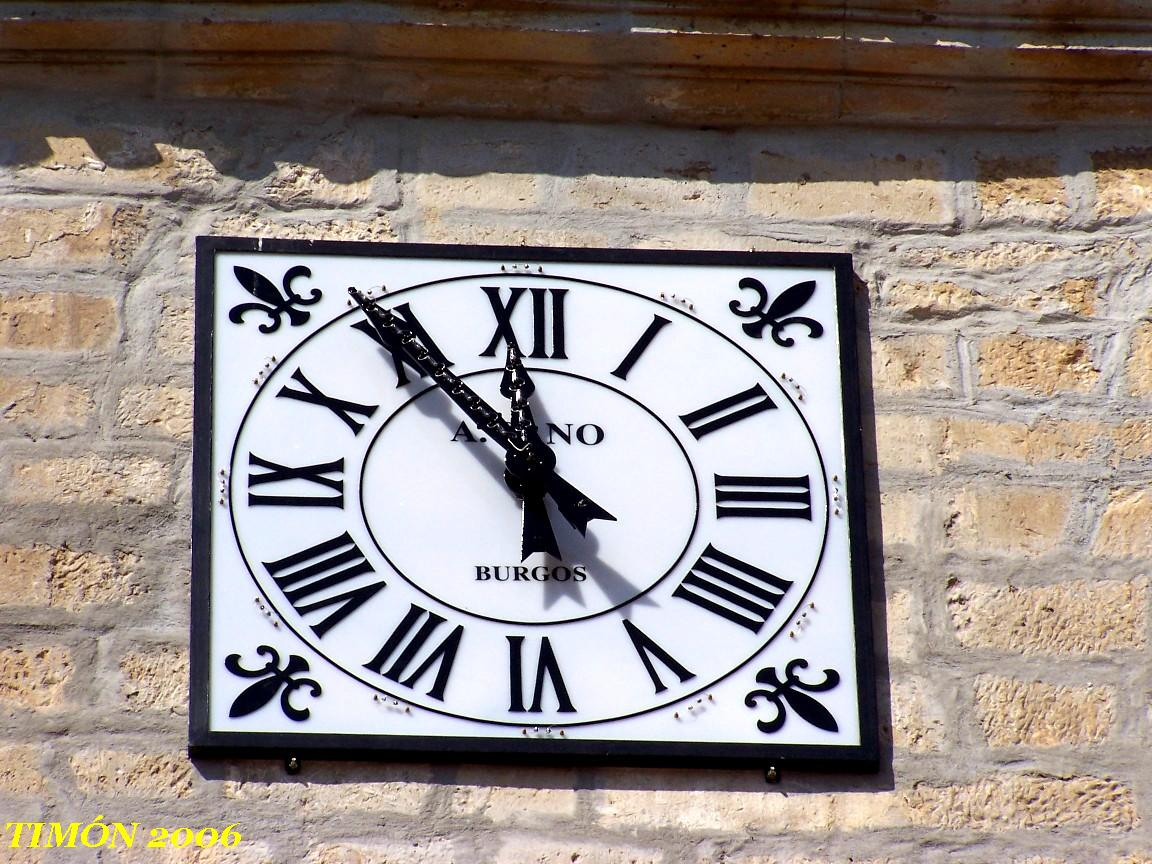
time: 11:53
